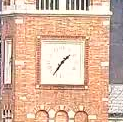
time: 1:35
